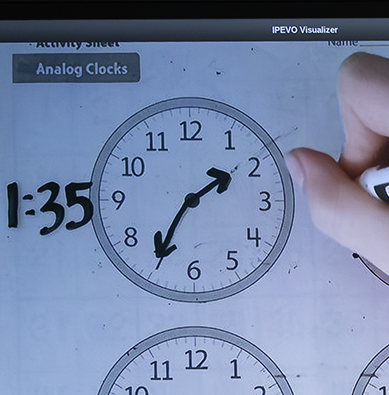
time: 1:34
